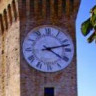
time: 4:12
